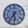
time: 5:36
